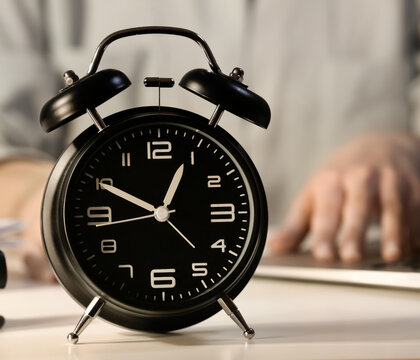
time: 12:49
